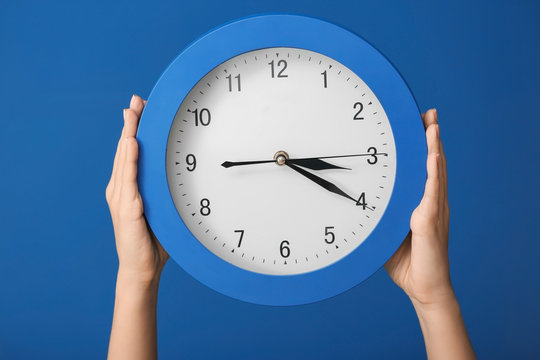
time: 3:20
